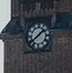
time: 1:38
